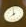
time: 7:59
